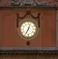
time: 7:03
